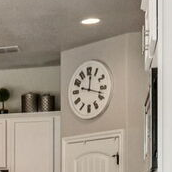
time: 12:17
